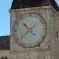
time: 10:38
